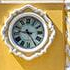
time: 9:25
